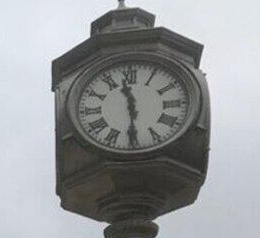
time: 11:29
